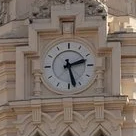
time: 2:27
